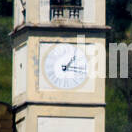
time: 1:16
